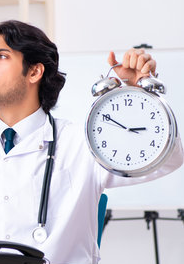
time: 2:50
